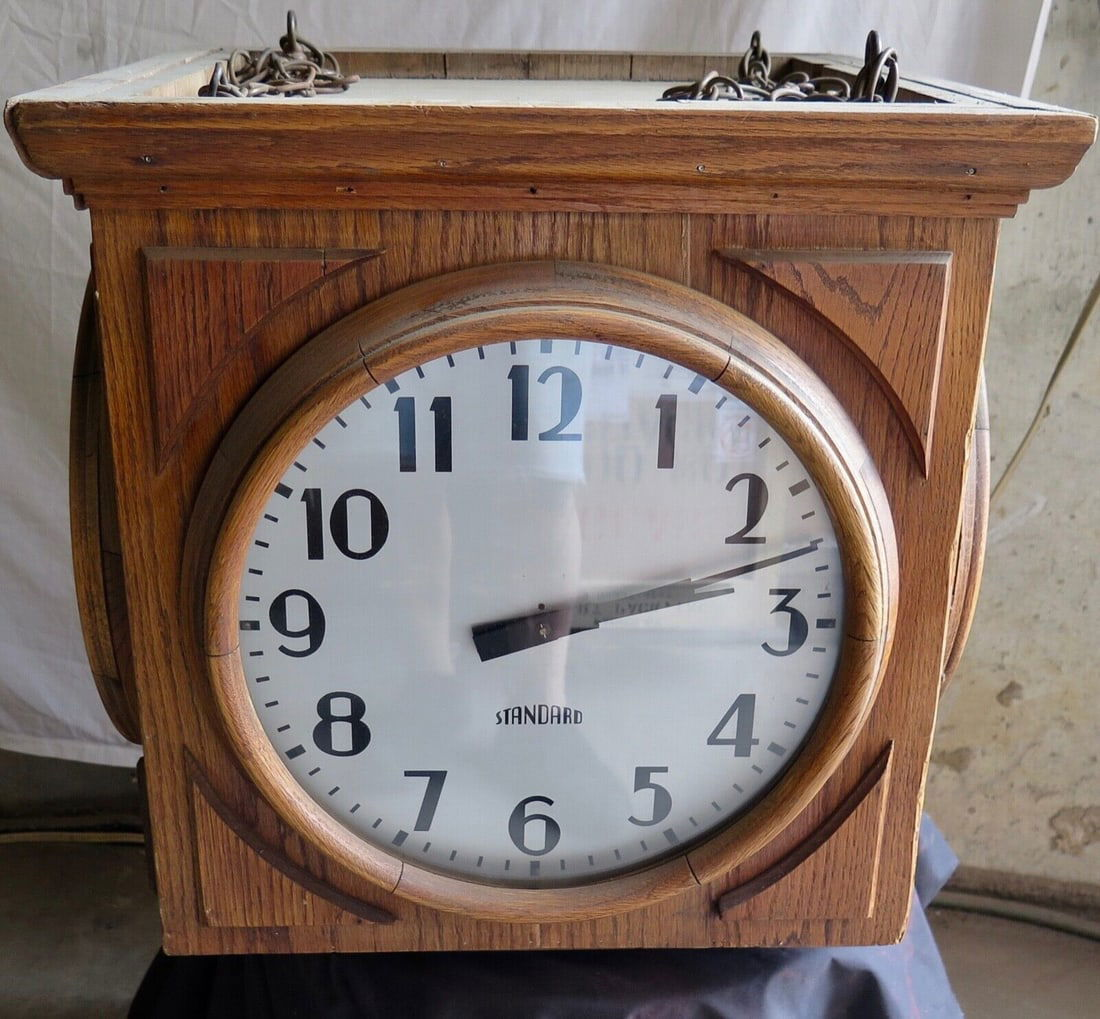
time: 2:12
